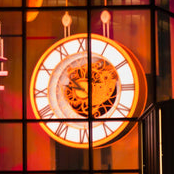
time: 6:00
